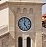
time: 12:23
